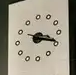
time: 3:18
